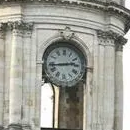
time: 2:43
